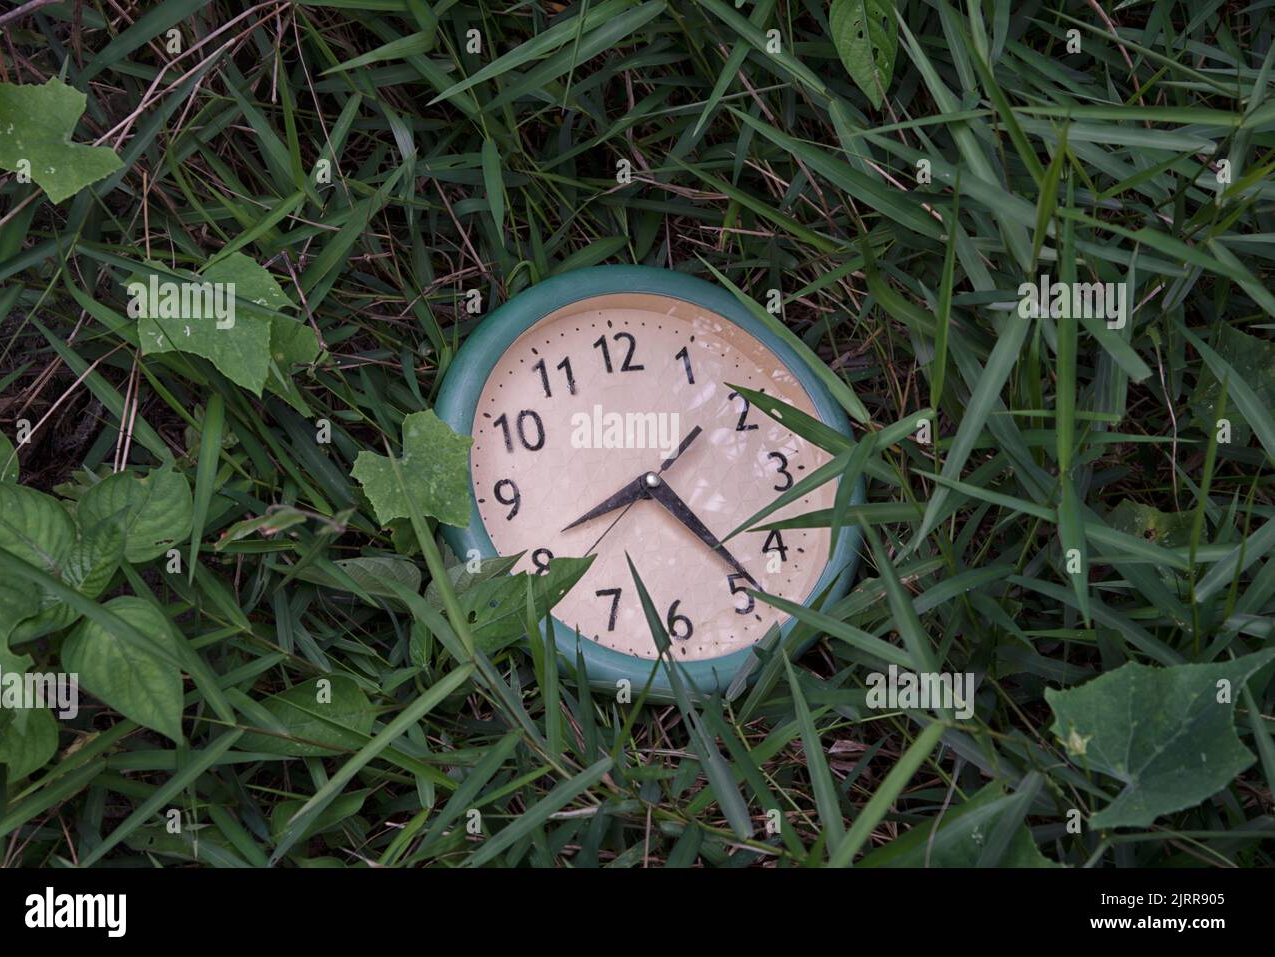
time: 8:23
